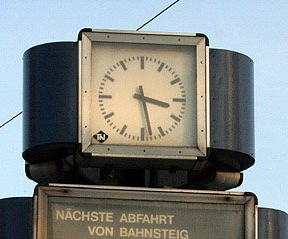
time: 3:28
